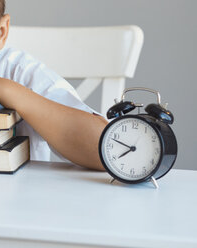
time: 7:48
